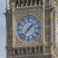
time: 1:37
